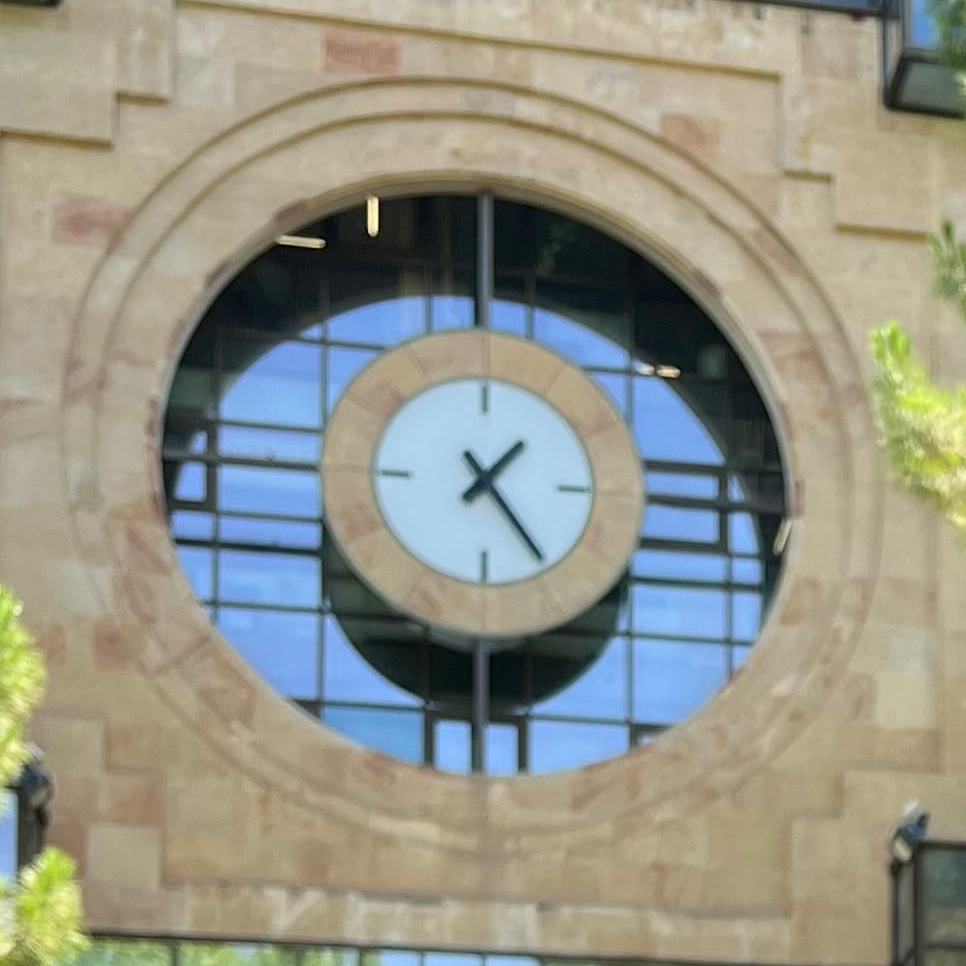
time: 1:24
